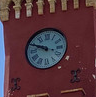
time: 9:48
